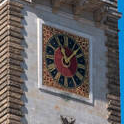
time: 11:07
